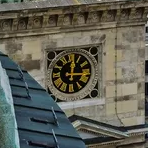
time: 12:16
